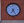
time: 7:25
